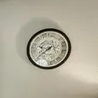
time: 9:39
